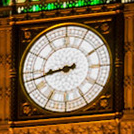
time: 8:42
